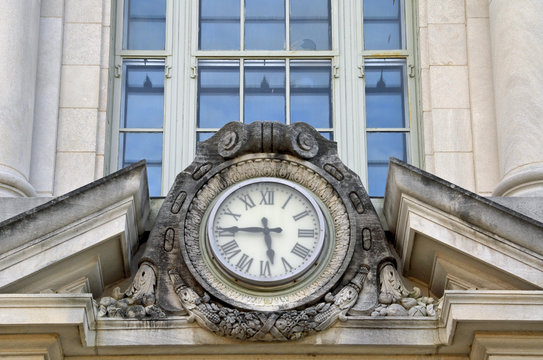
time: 5:45
